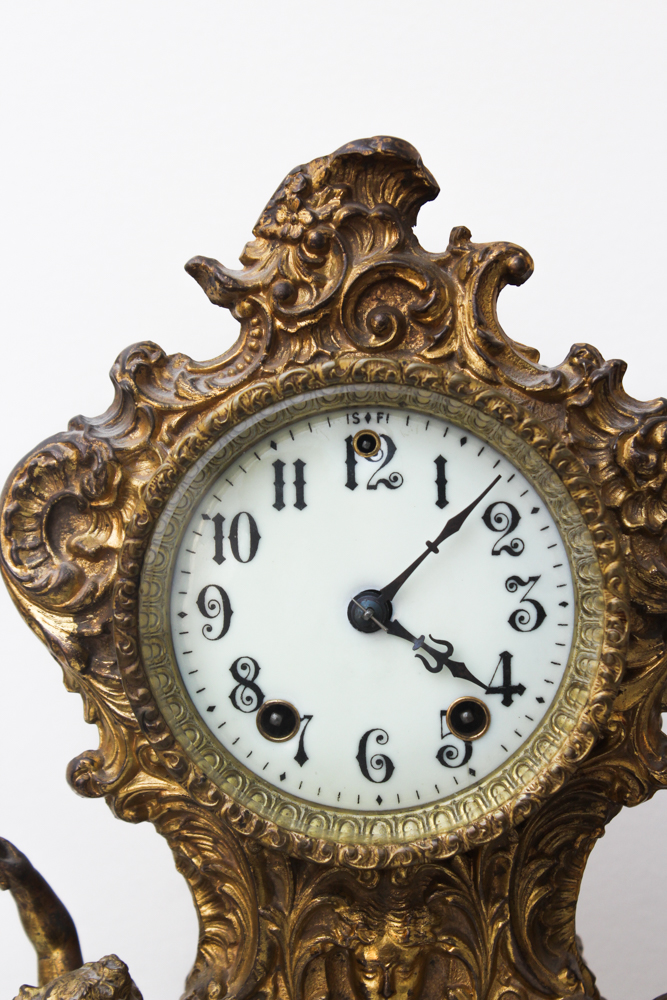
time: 4:07
